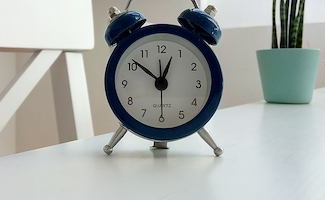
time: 12:51
